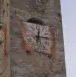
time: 12:14
